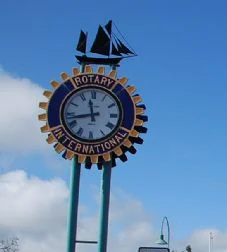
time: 11:43
